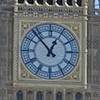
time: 12:53
